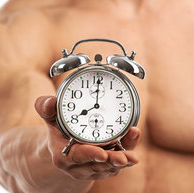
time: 8:00
